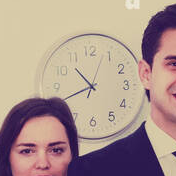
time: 10:40
